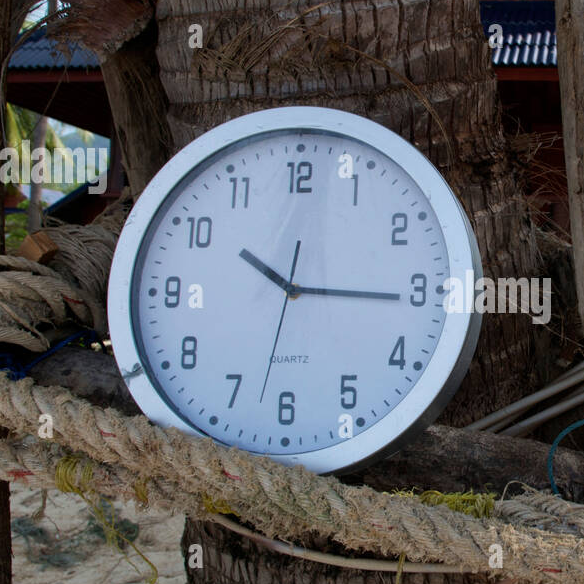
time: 10:15
